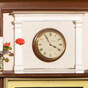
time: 3:55
